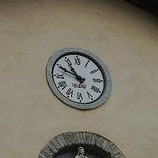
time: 10:49
